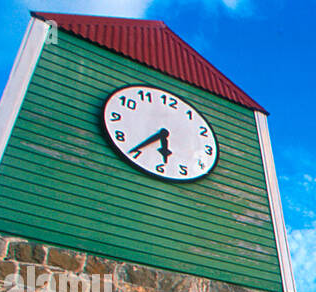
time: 5:36
